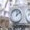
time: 12:07
